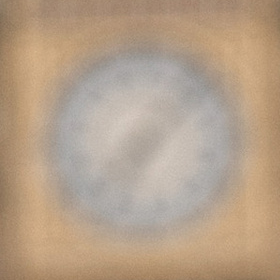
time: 7:07
